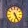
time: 5:24
